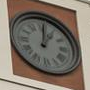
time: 1:01
